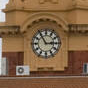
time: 2:54
